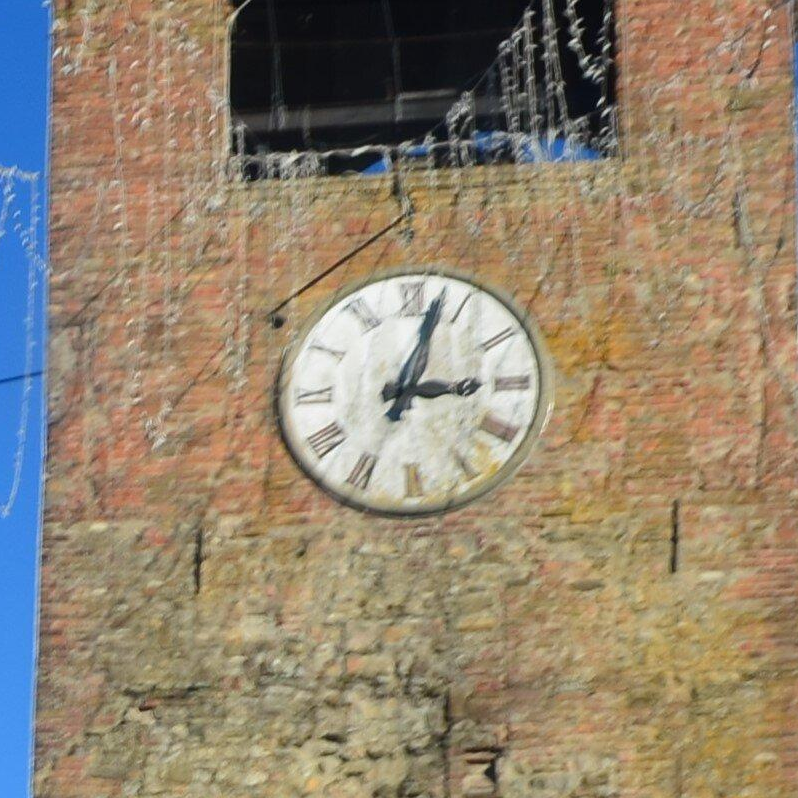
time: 3:02
